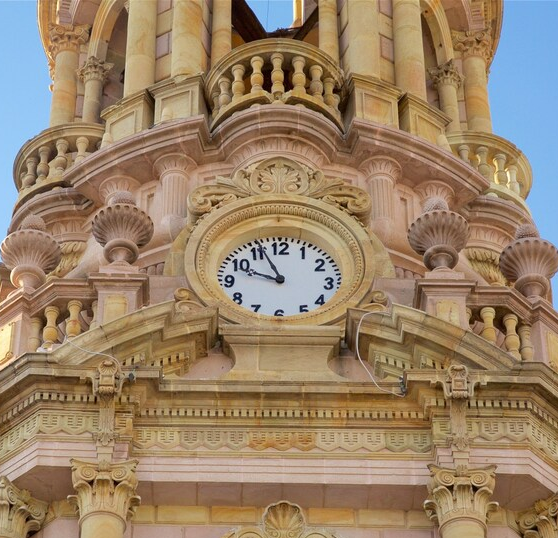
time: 9:56
